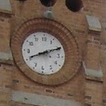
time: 8:10
